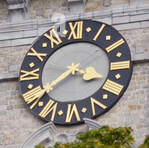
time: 3:39
